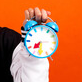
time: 7:30
